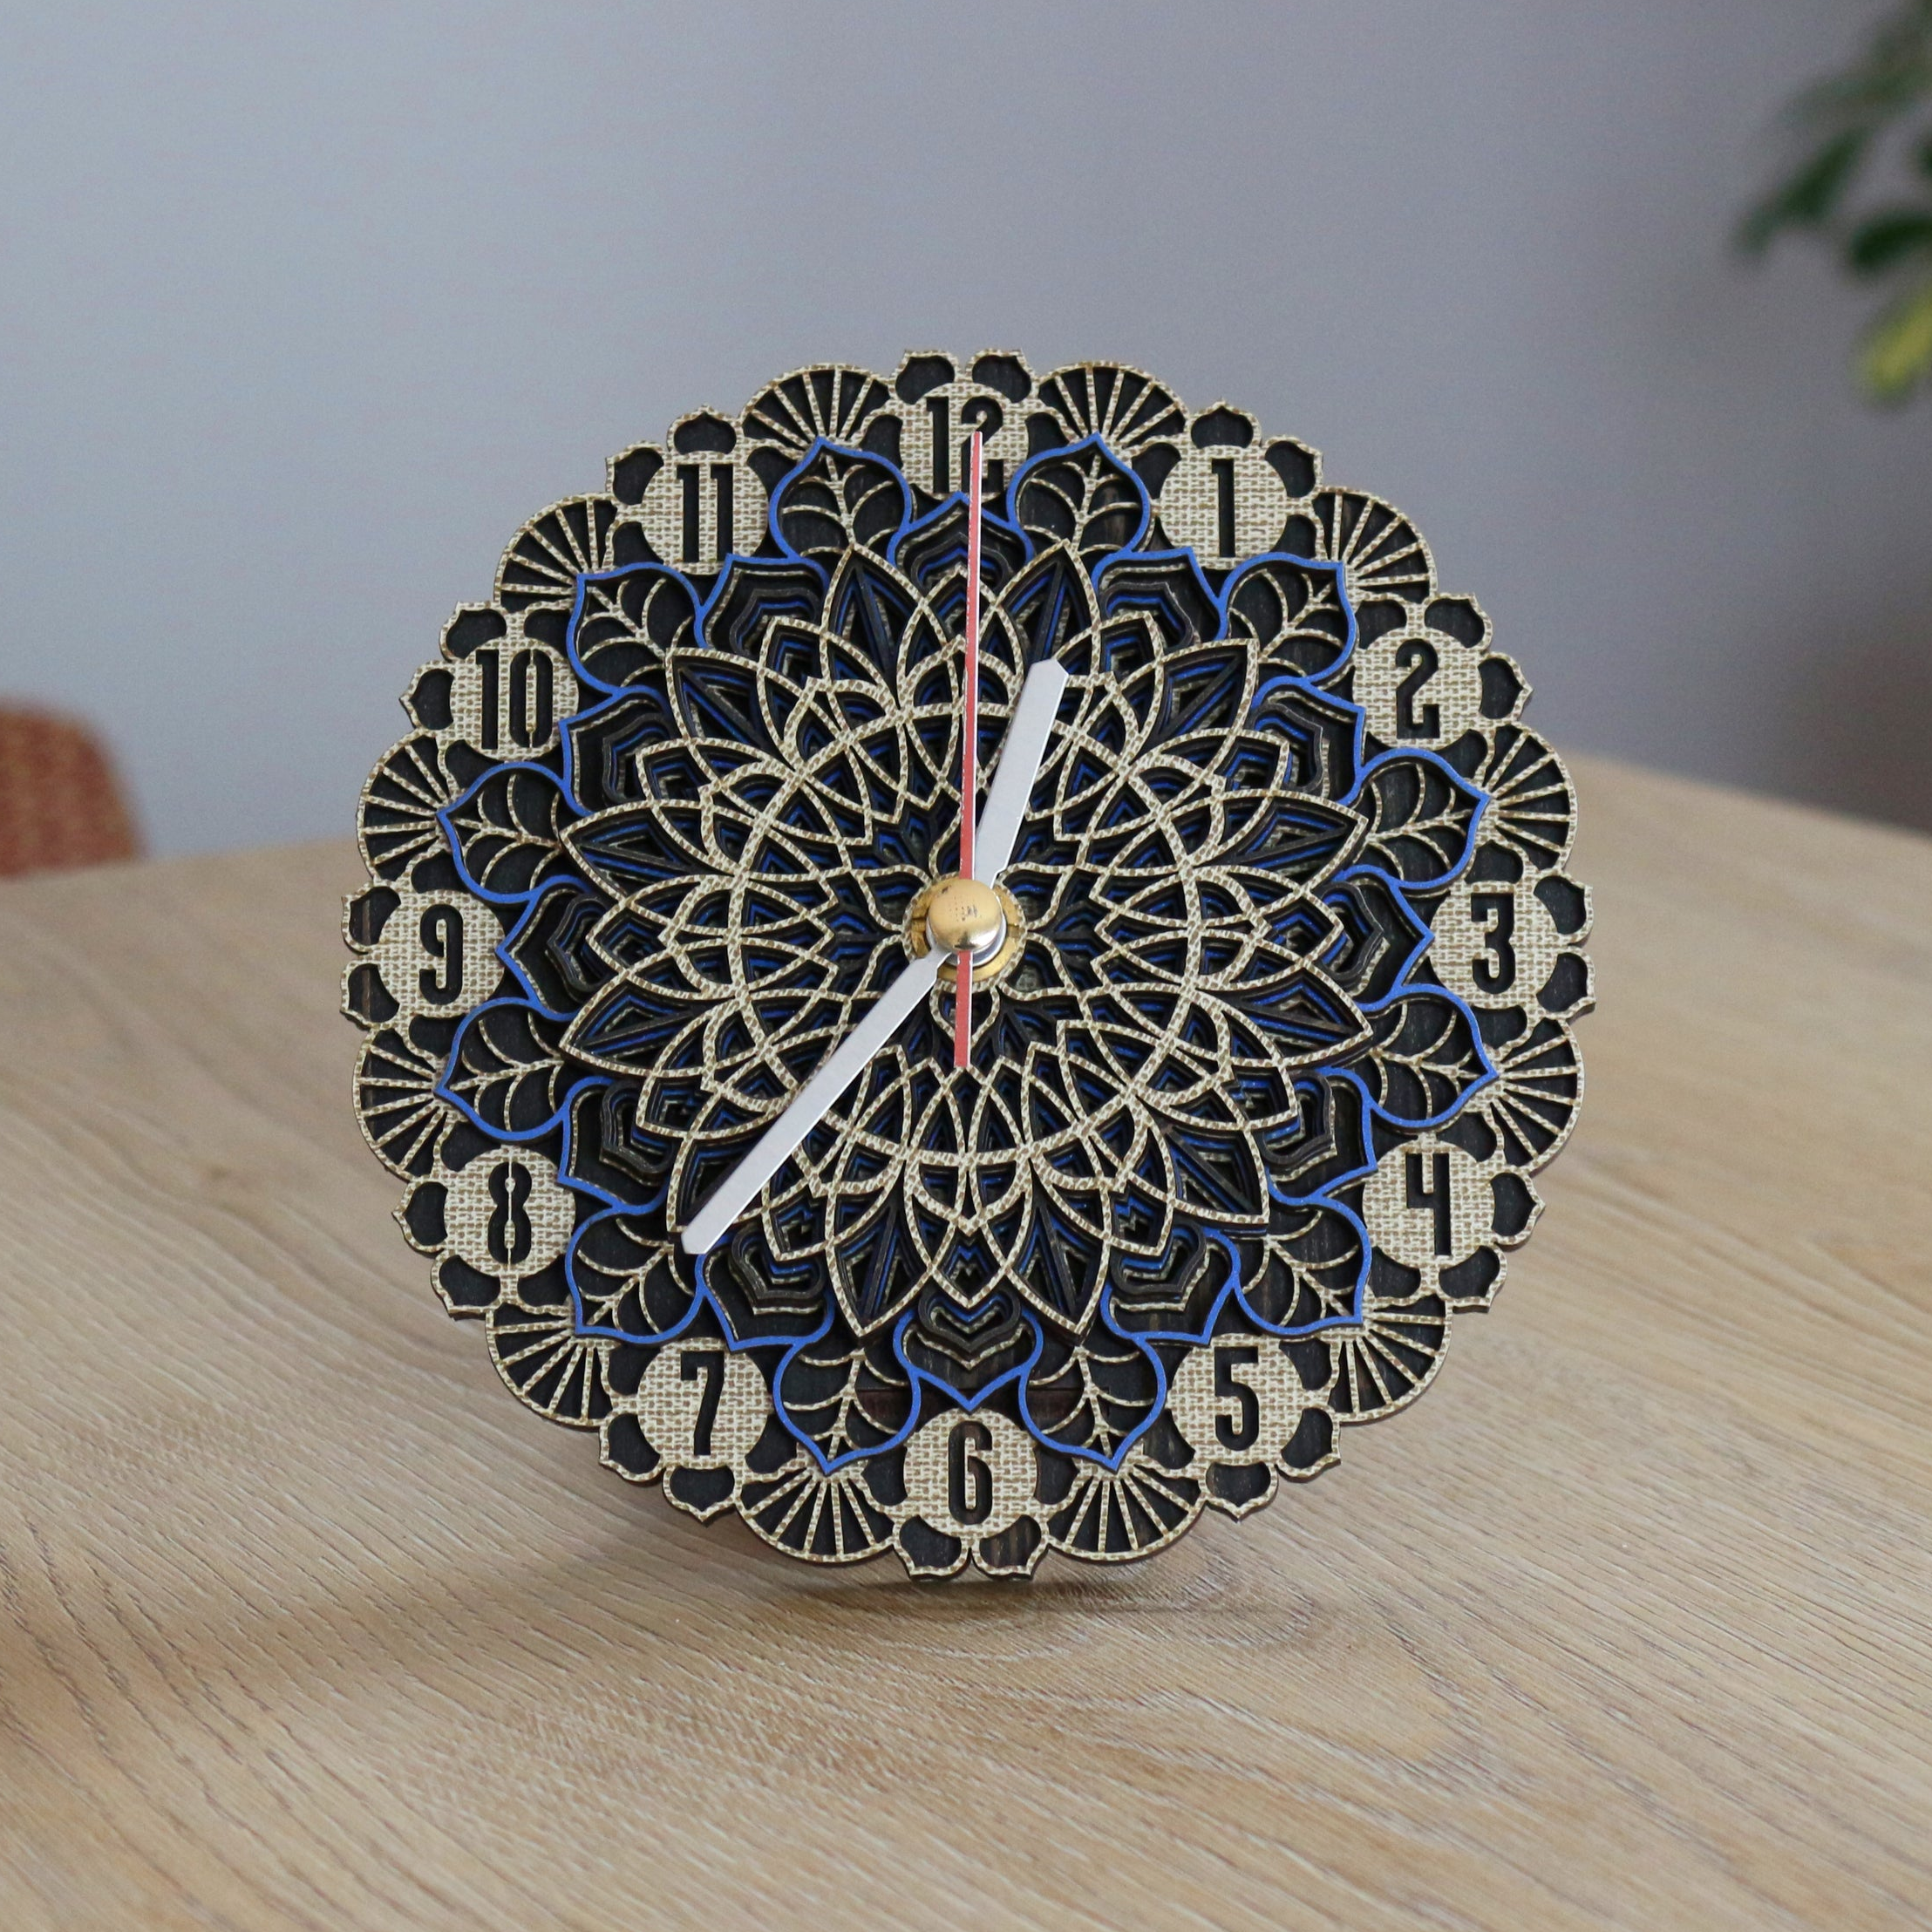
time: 12:37
